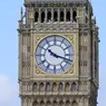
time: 10:17
